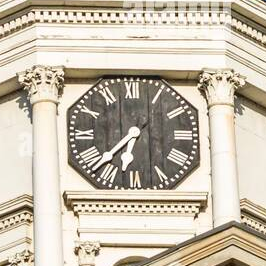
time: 6:37
